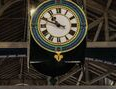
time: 10:48
